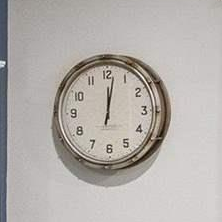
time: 12:01
